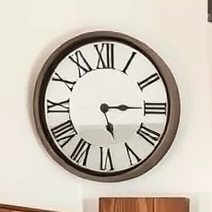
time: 5:14
